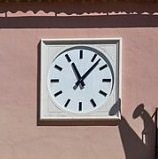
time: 11:07
